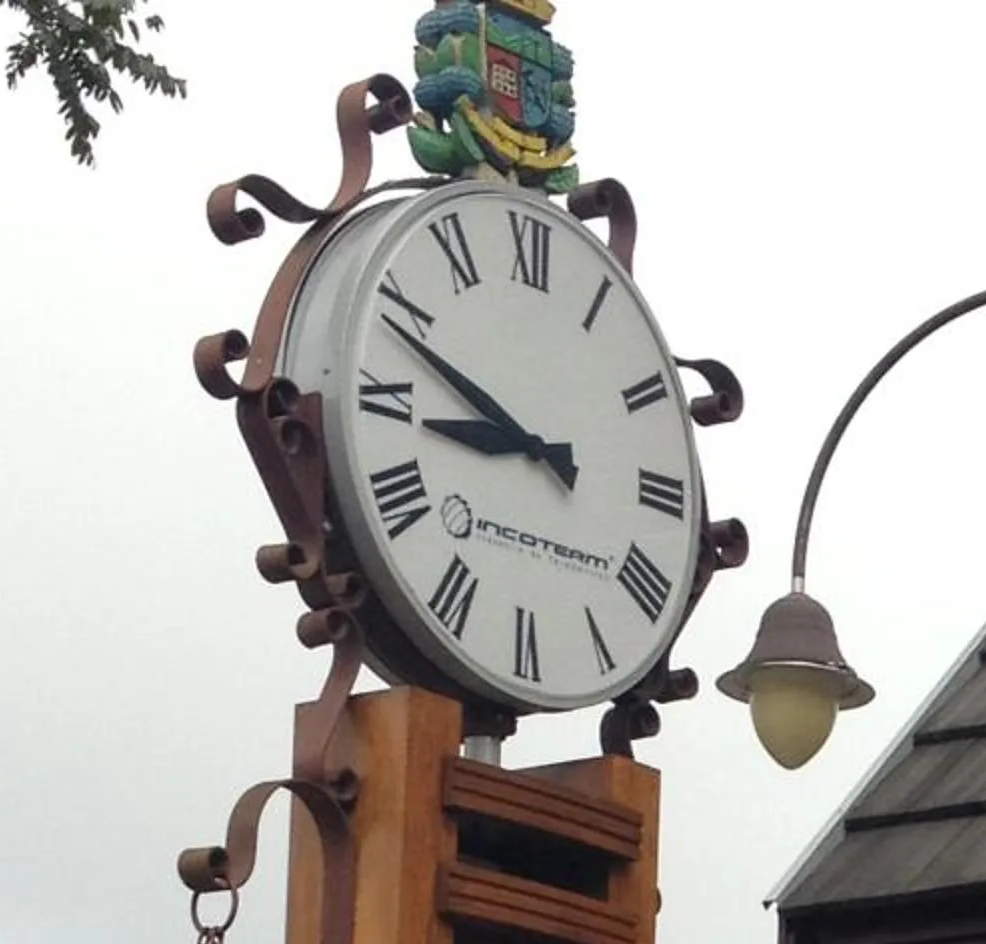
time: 8:48
